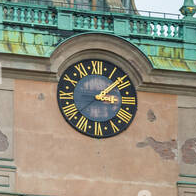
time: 3:08
